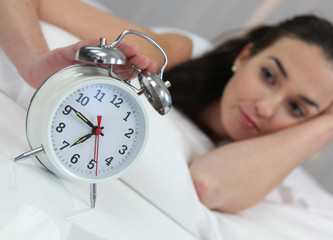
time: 7:50
